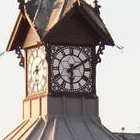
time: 6:10
